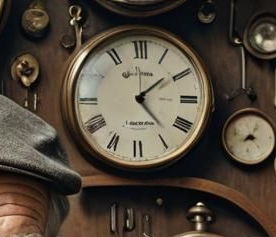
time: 1:23
